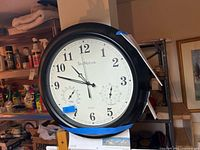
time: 10:47
